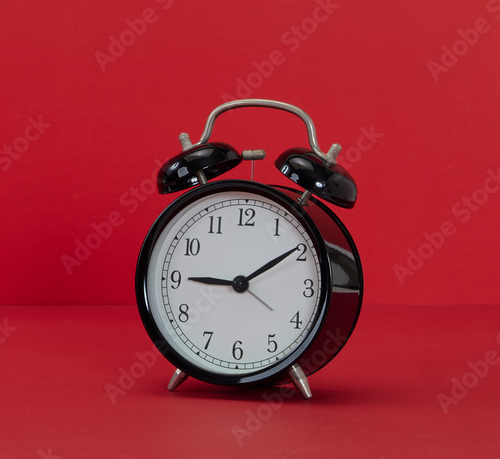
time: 9:09
